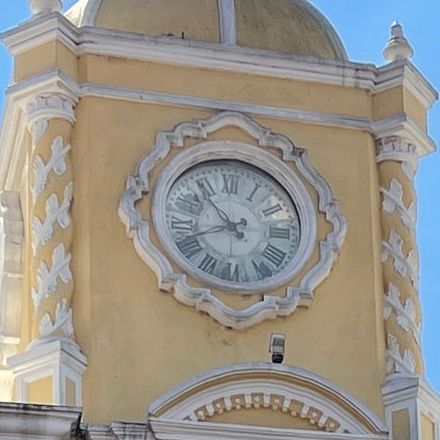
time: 10:41
